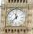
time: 11:37
